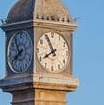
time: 7:55
